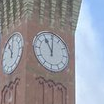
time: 11:00
